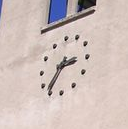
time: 2:36
